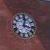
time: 12:16
